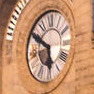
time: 5:49
